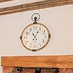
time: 11:04
